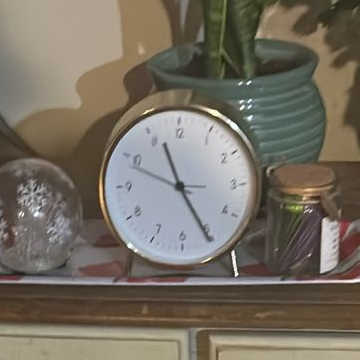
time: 11:25
